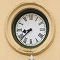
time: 8:38
